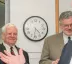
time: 4:31
